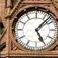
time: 5:07
